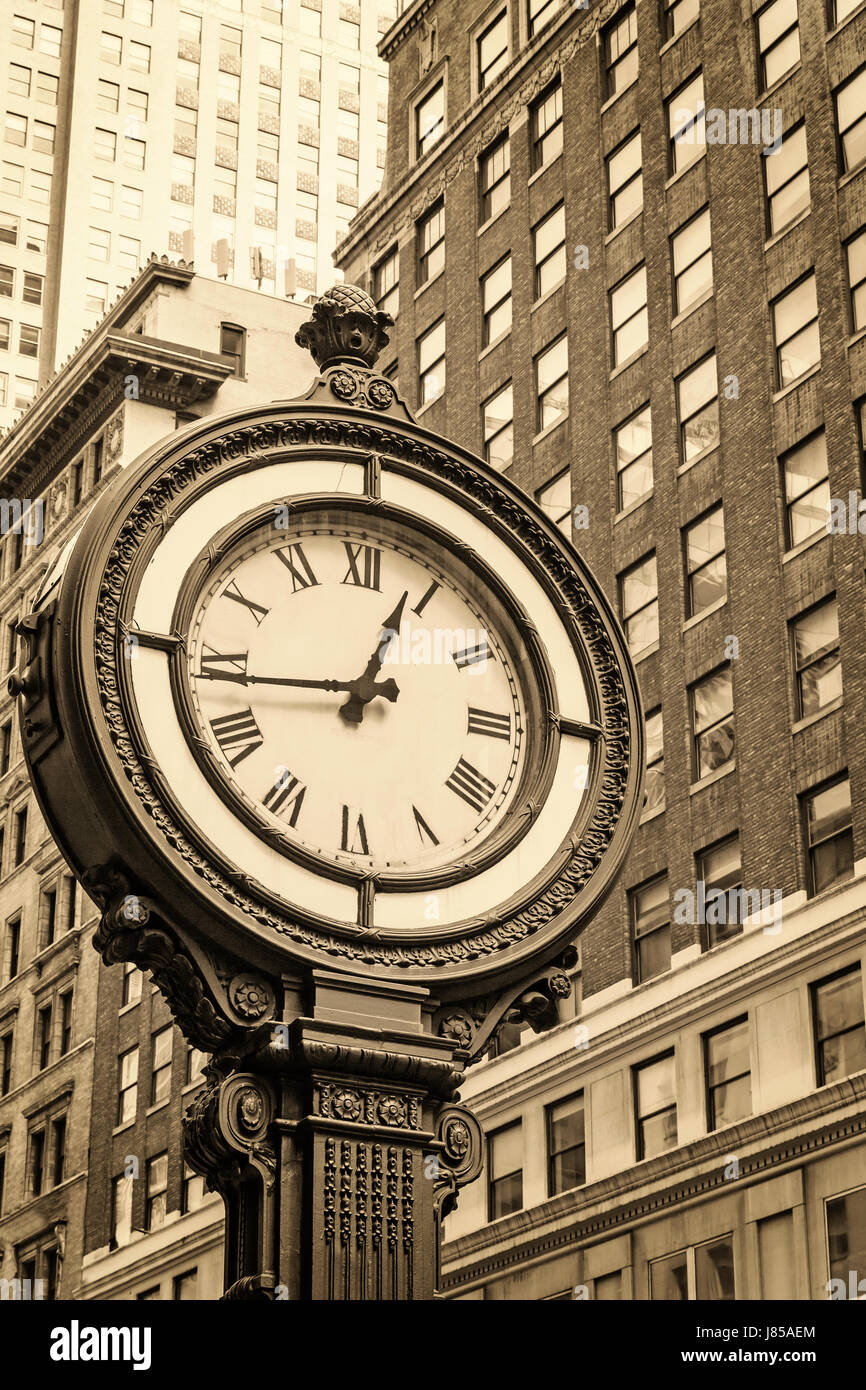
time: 12:44
